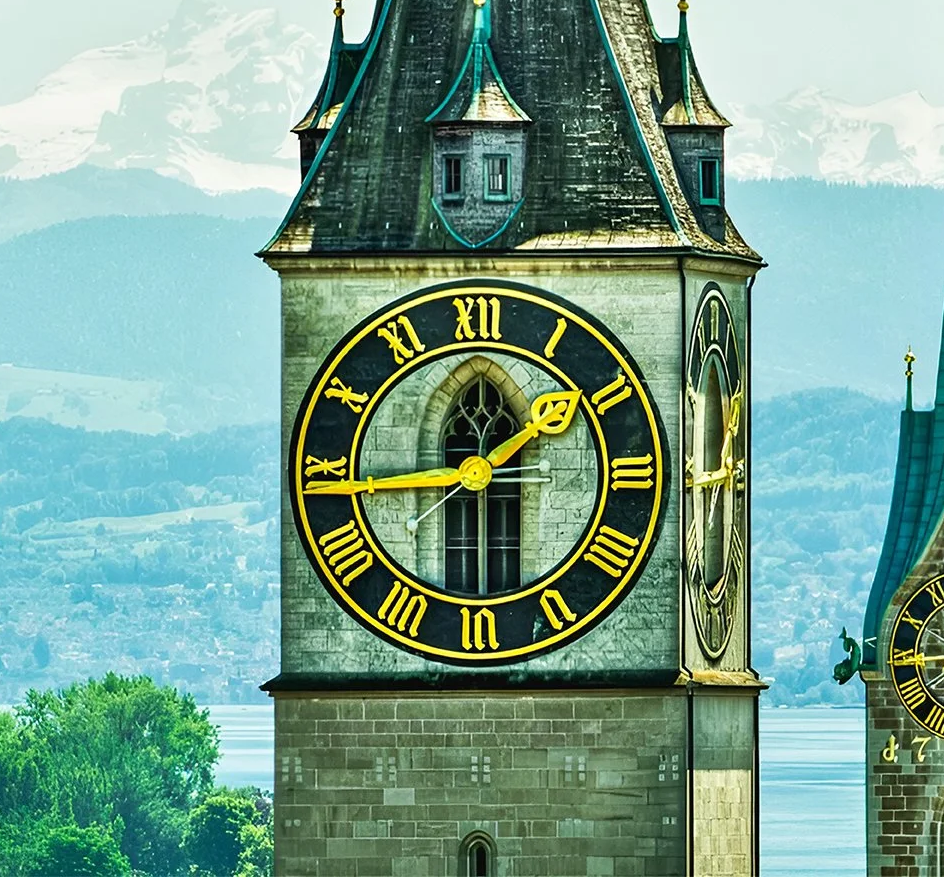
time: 1:43
